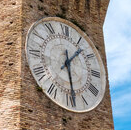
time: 1:28
